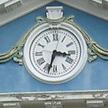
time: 3:32
